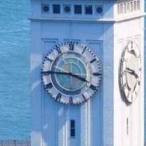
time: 3:45
